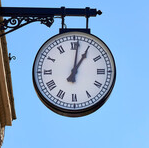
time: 1:01
